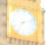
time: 7:11
